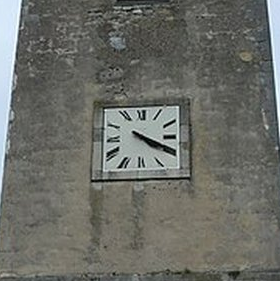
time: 4:19
